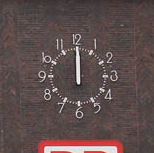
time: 11:59
